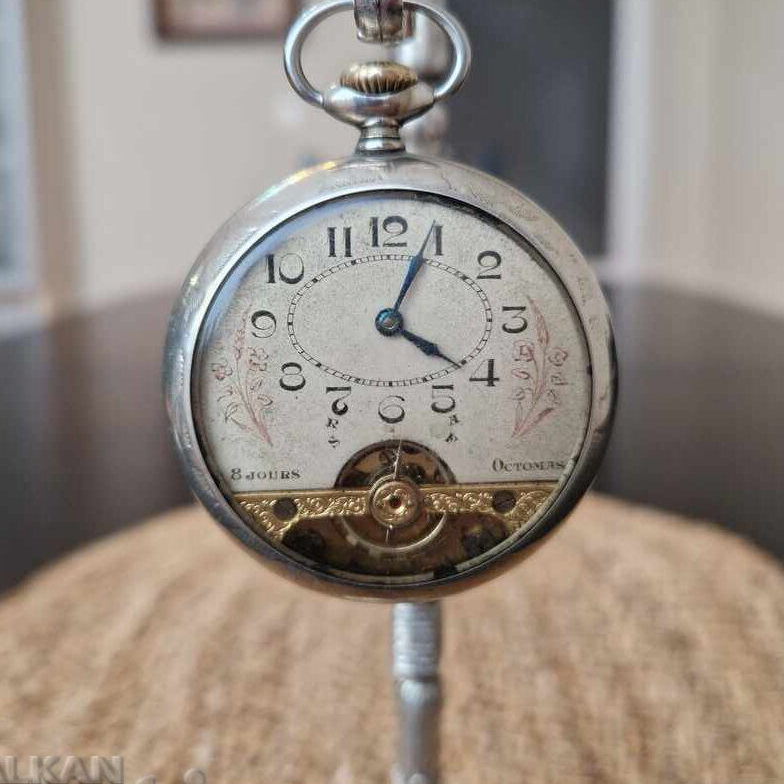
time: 4:04
